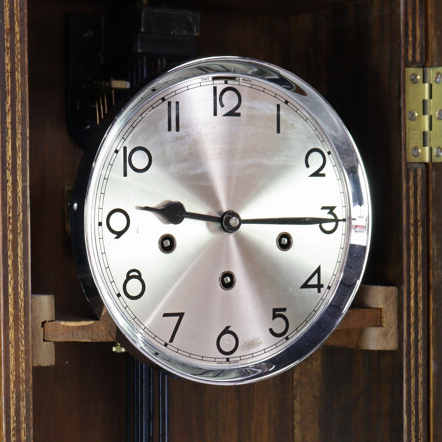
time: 9:14
